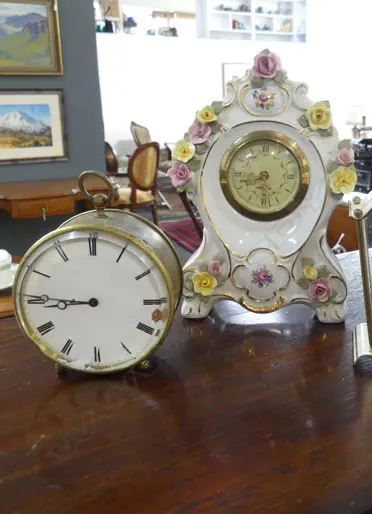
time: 8:44
